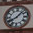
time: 8:07
